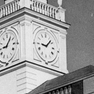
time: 9:07
